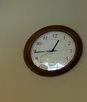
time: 12:43
